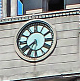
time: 7:33
